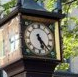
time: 5:23
